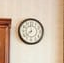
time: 7:37
